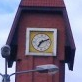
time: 7:11
